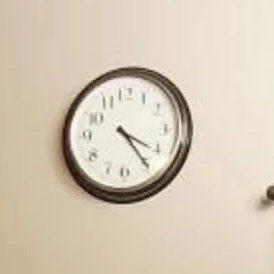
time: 4:24
